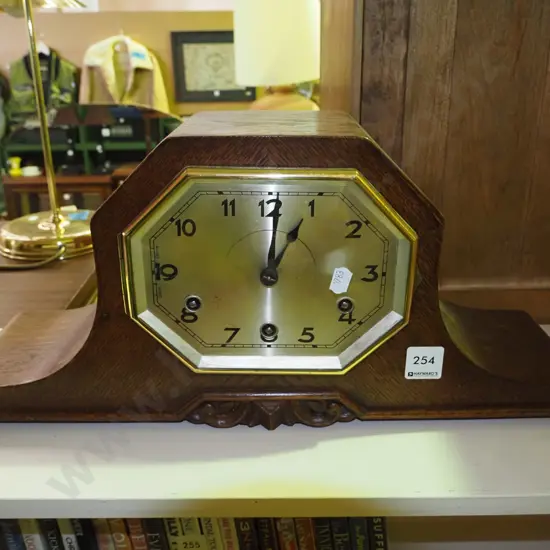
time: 1:01
